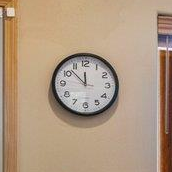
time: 11:52
